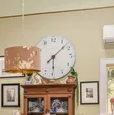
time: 6:08
